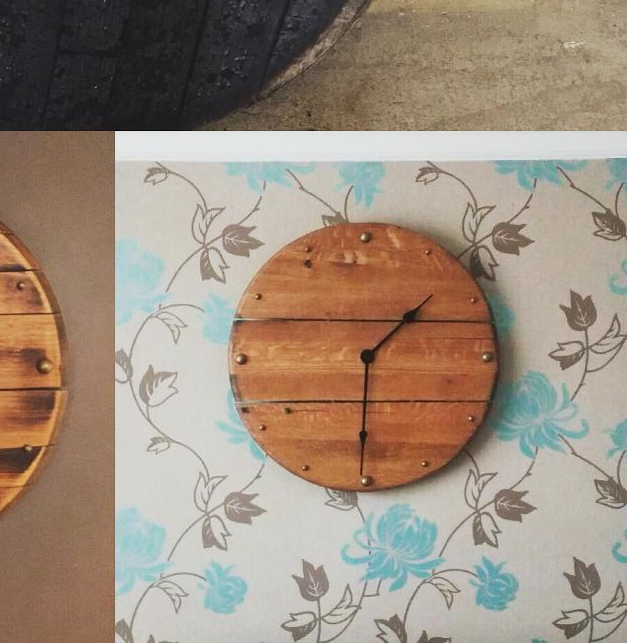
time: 1:30
